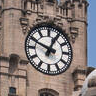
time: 12:49
